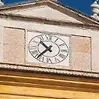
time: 10:36
